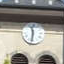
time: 11:31
